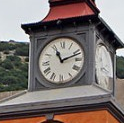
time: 11:11
